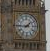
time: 1:45
